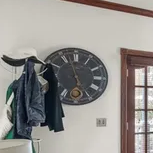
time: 4:57
